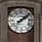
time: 2:08
